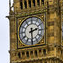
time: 2:29
